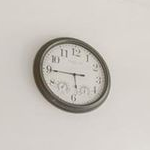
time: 5:44
